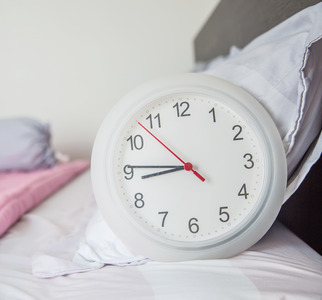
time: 8:45
